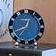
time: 12:40
